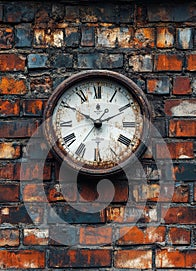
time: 1:50
